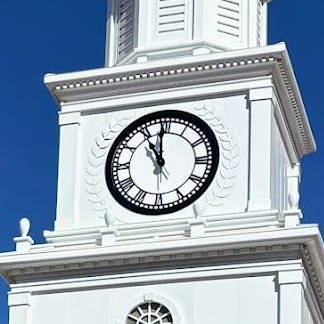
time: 10:59
